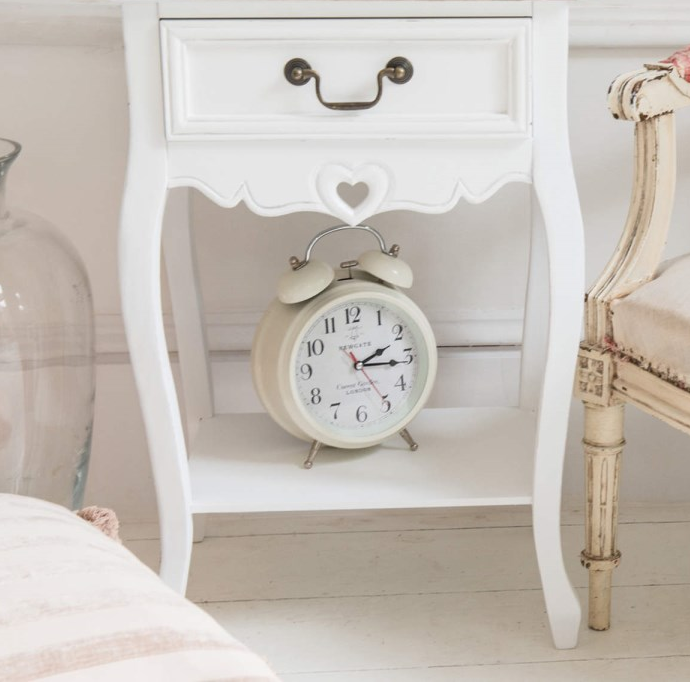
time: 2:15
